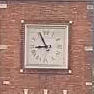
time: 8:55
